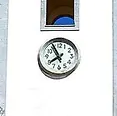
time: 7:55
